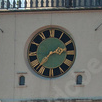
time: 2:37
